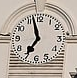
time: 6:57
